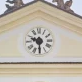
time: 9:30
